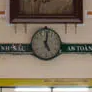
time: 5:00
